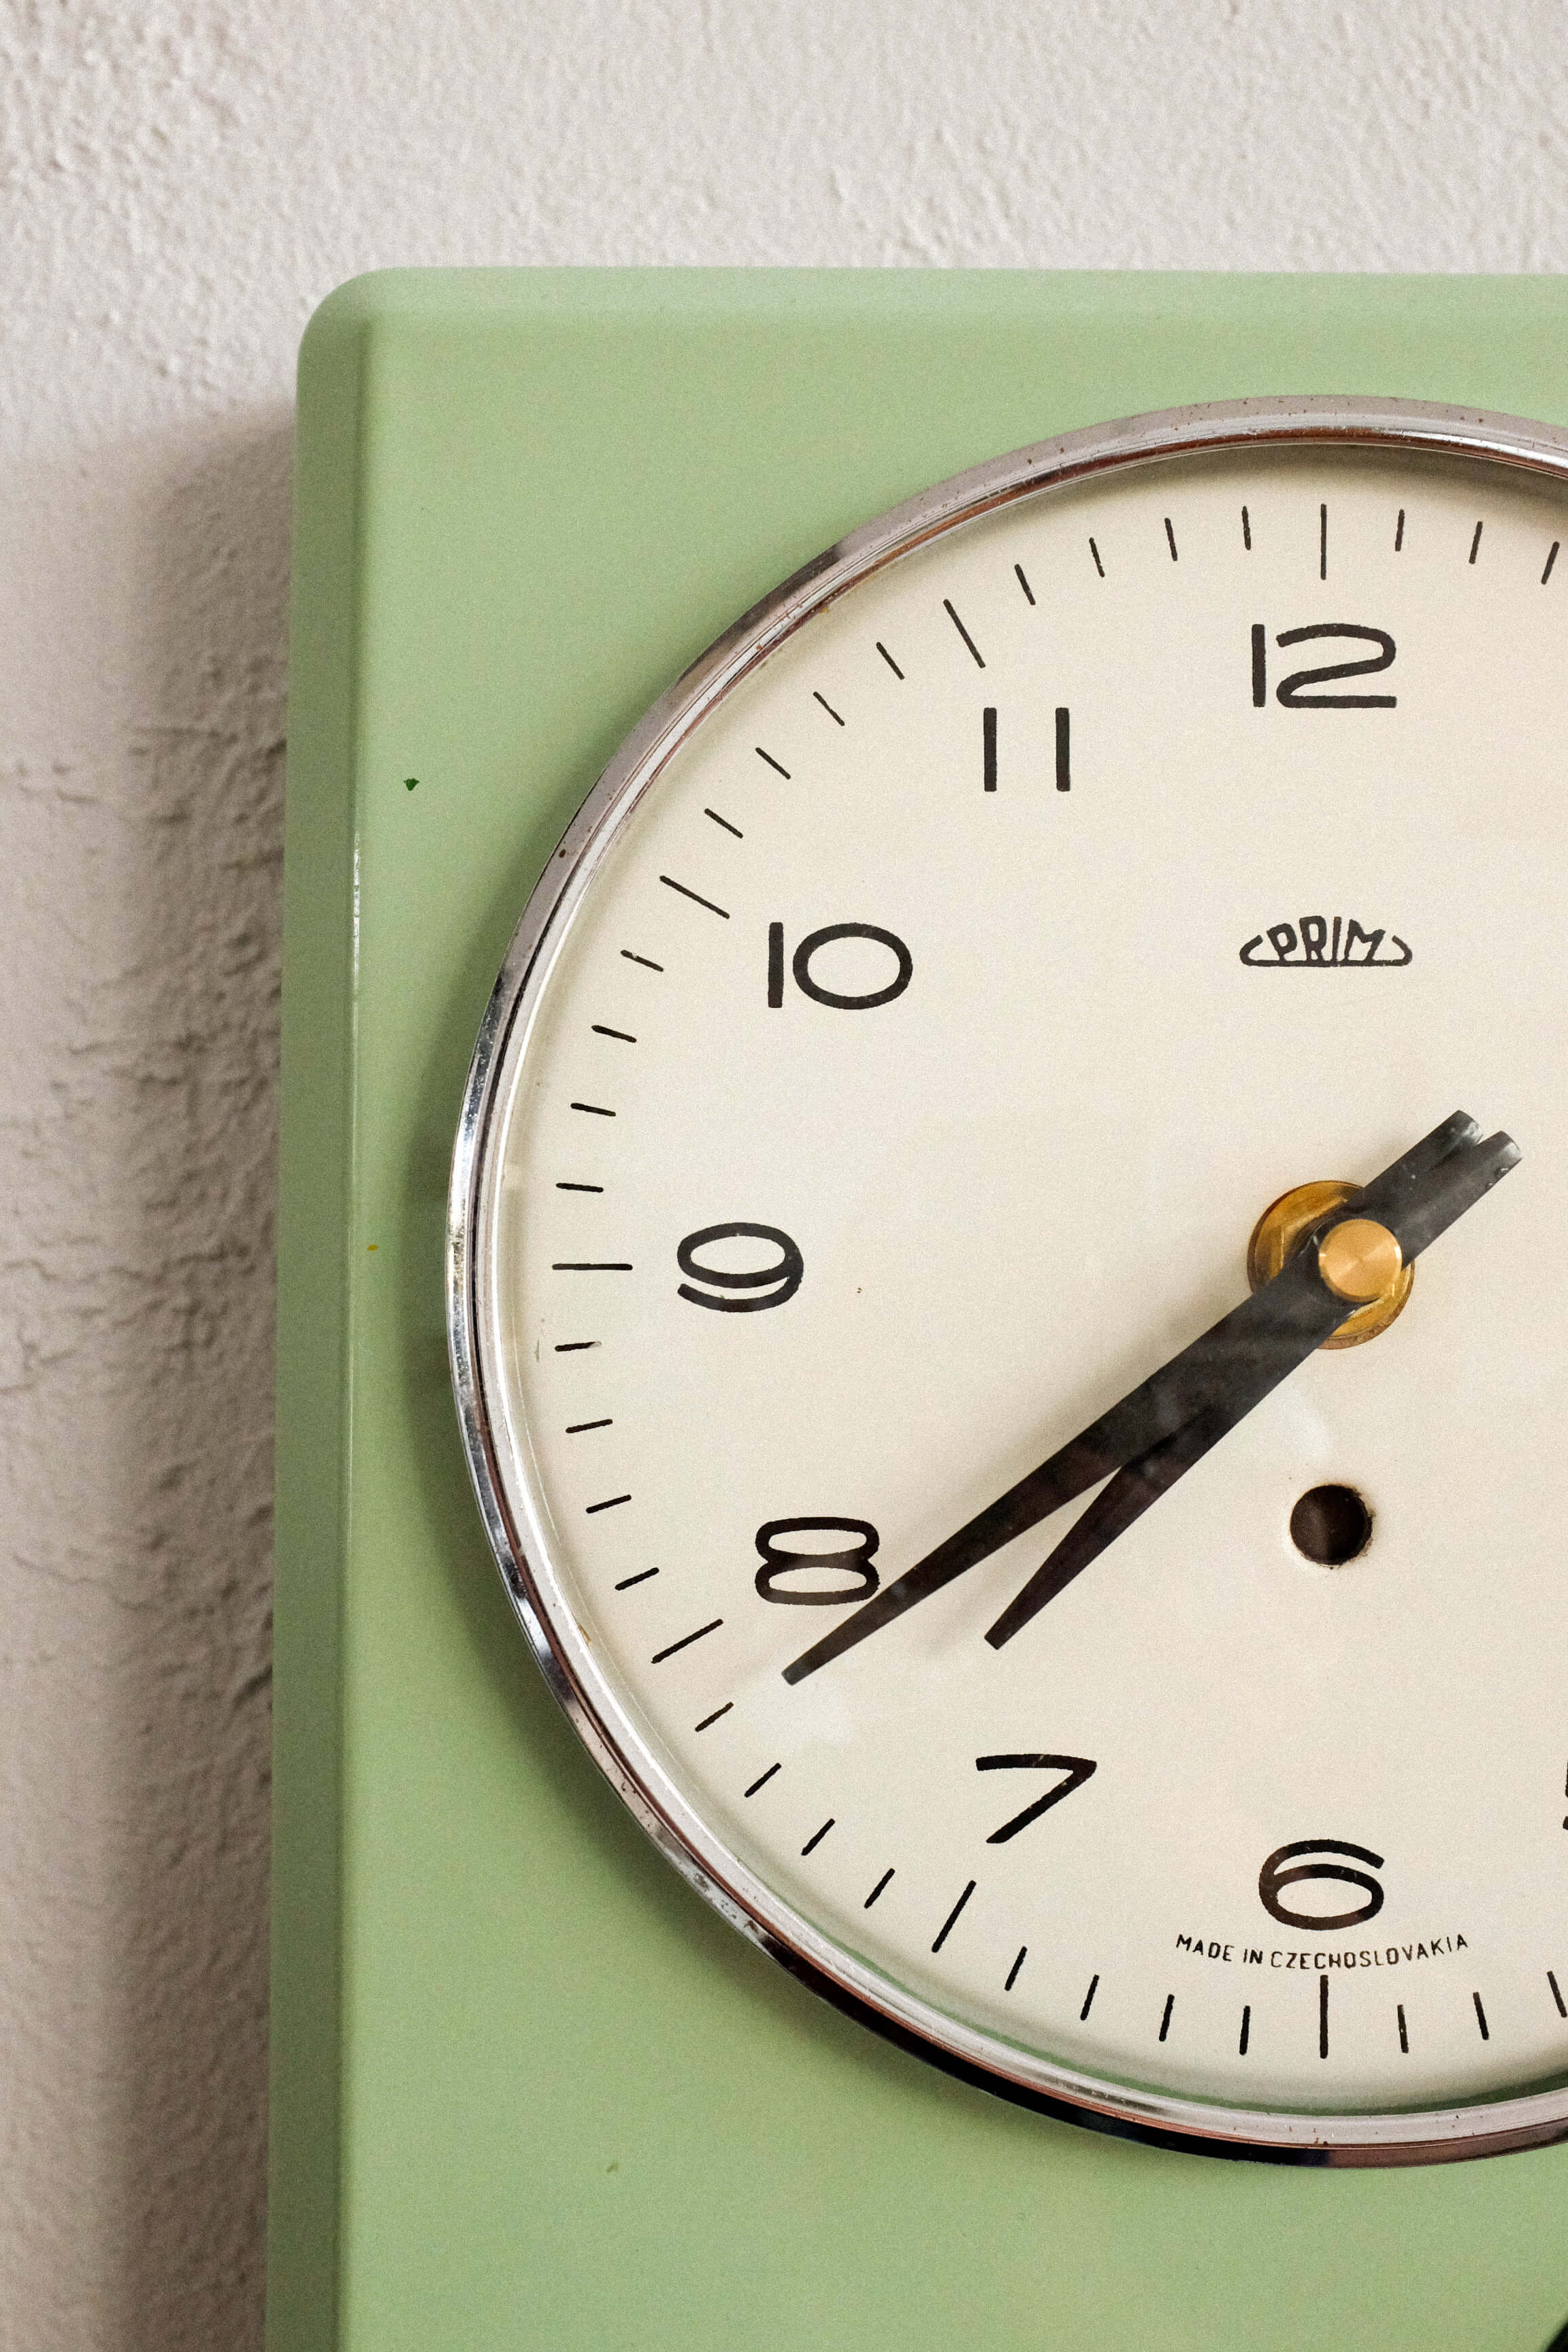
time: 7:39
